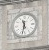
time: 11:32
